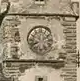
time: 8:11
